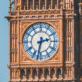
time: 2:32
